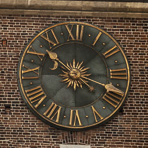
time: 10:18
